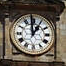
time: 12:59
